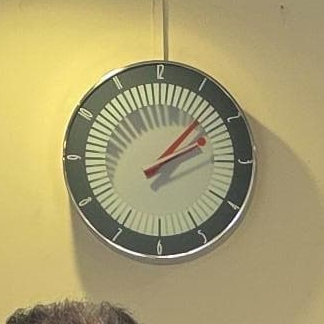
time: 2:07
